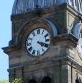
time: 4:18
